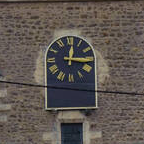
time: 12:16
